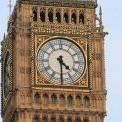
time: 4:29
